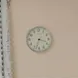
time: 3:33
